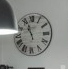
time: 10:56
